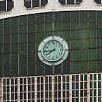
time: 7:43
